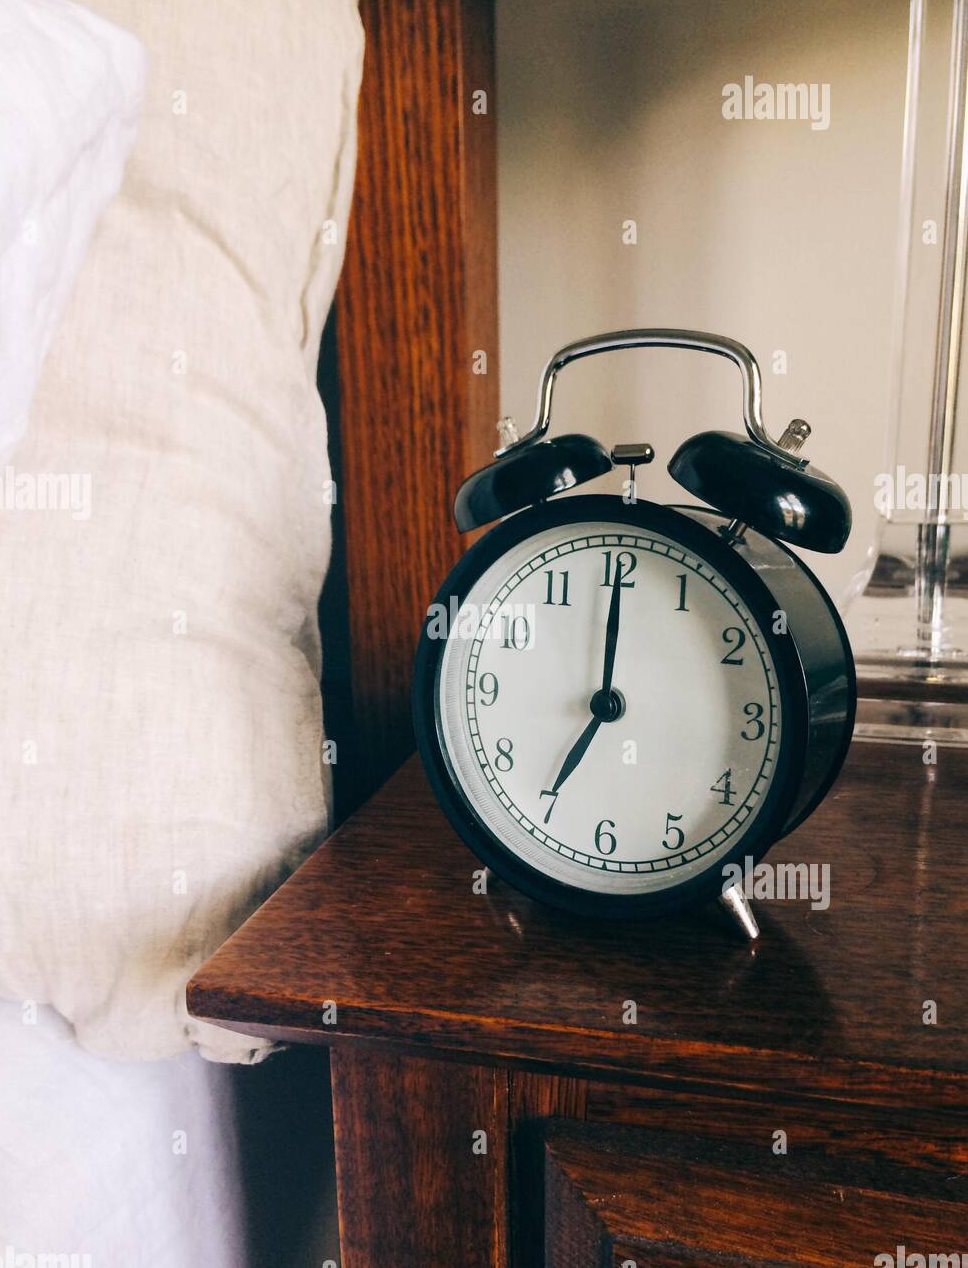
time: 7:00
